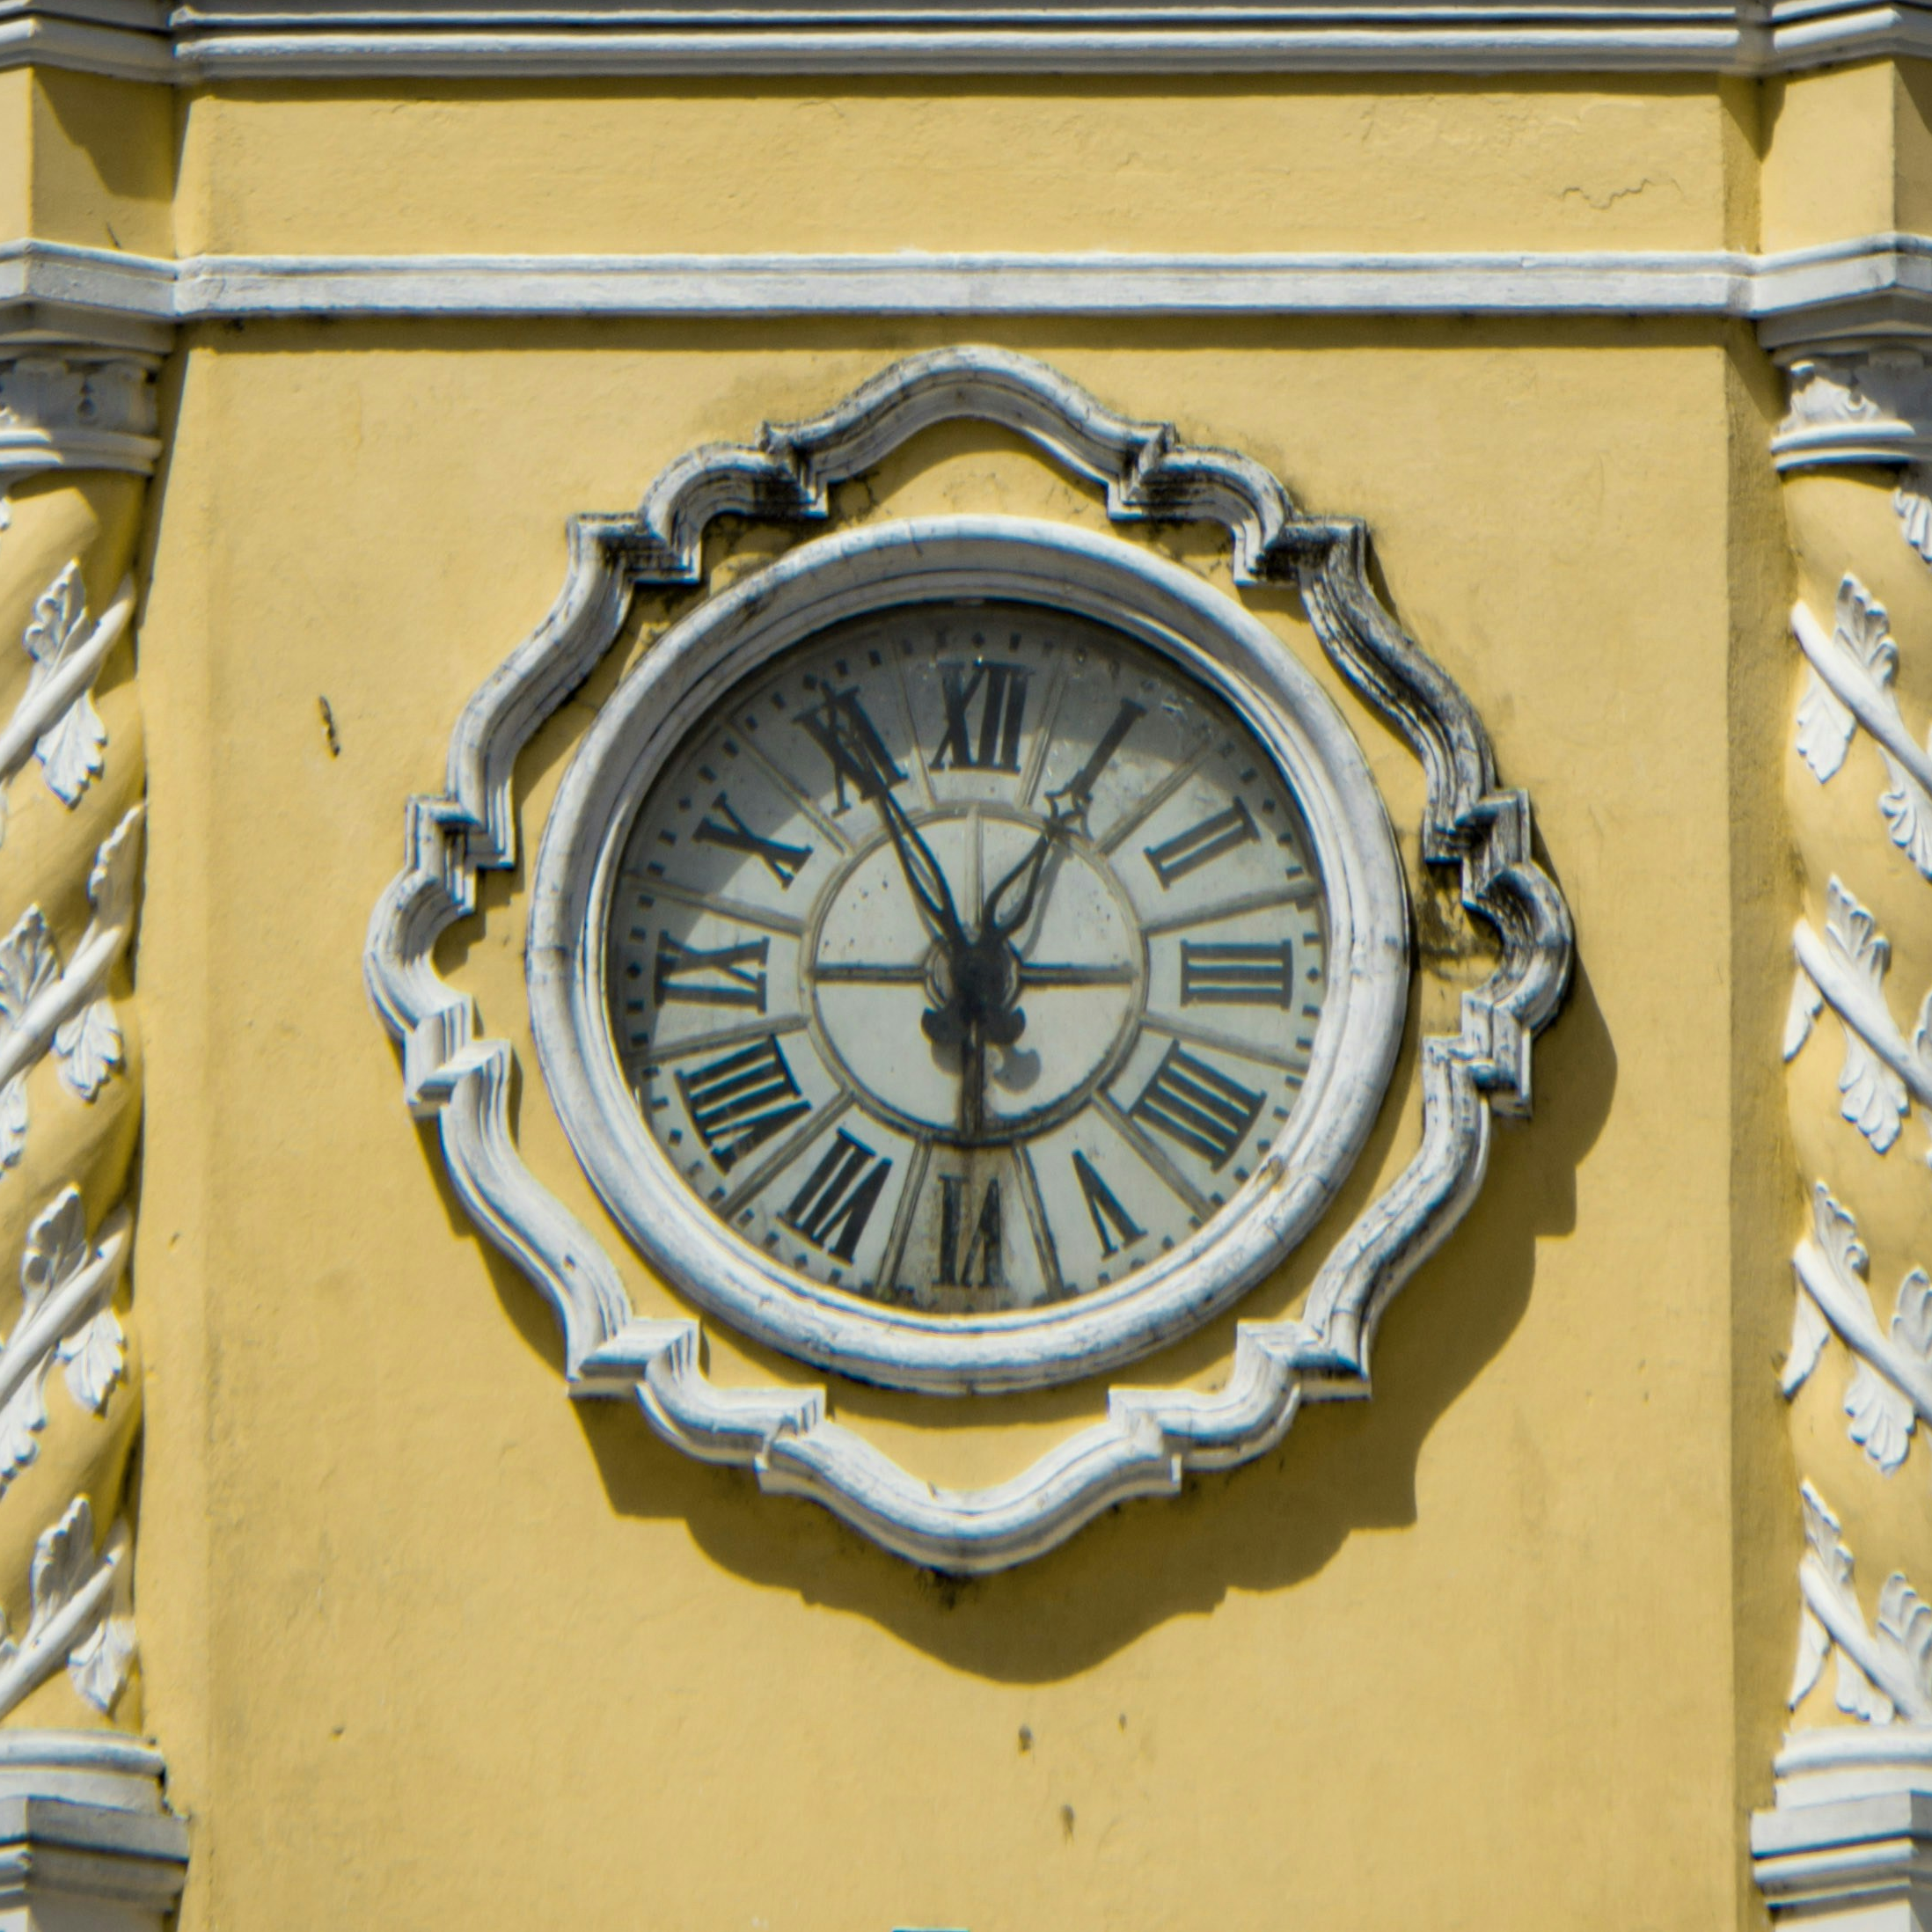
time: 5:55
